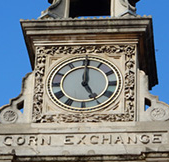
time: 5:00
